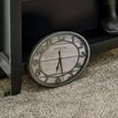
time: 6:27
